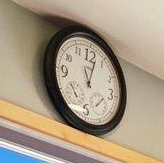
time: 11:02
